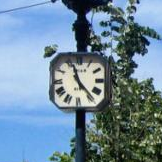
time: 11:23
